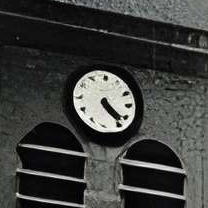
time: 4:23
